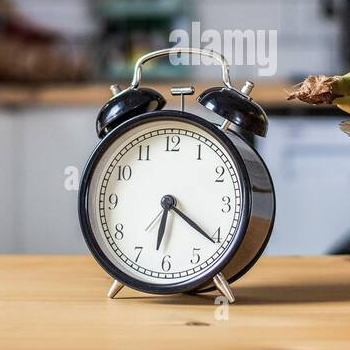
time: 6:21
